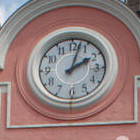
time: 2:02
